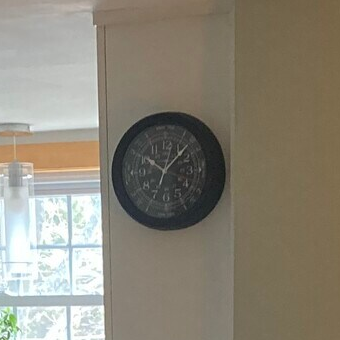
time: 10:07
